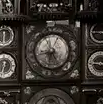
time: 8:32
